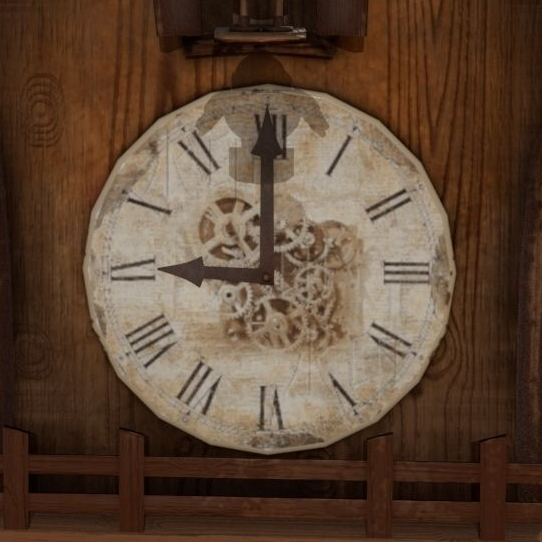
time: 8:59
